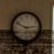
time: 2:48
